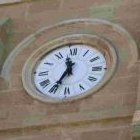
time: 11:34
